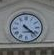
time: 4:22
